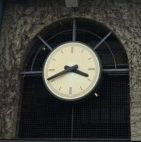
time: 3:41
